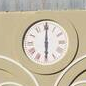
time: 6:00
